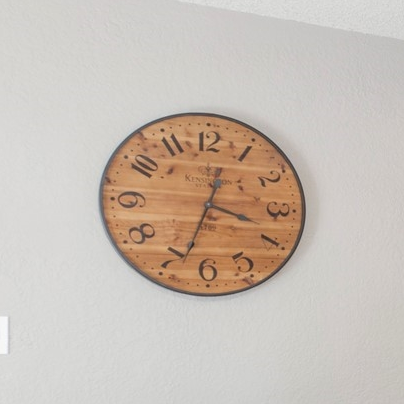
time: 3:33
